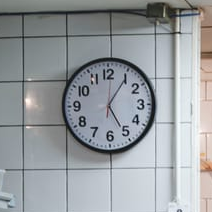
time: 5:05
